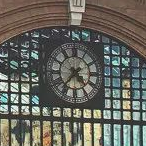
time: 4:36
